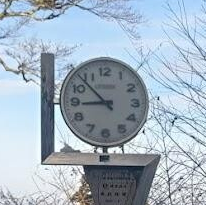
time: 8:53
